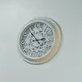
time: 2:53
